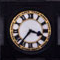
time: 3:36
